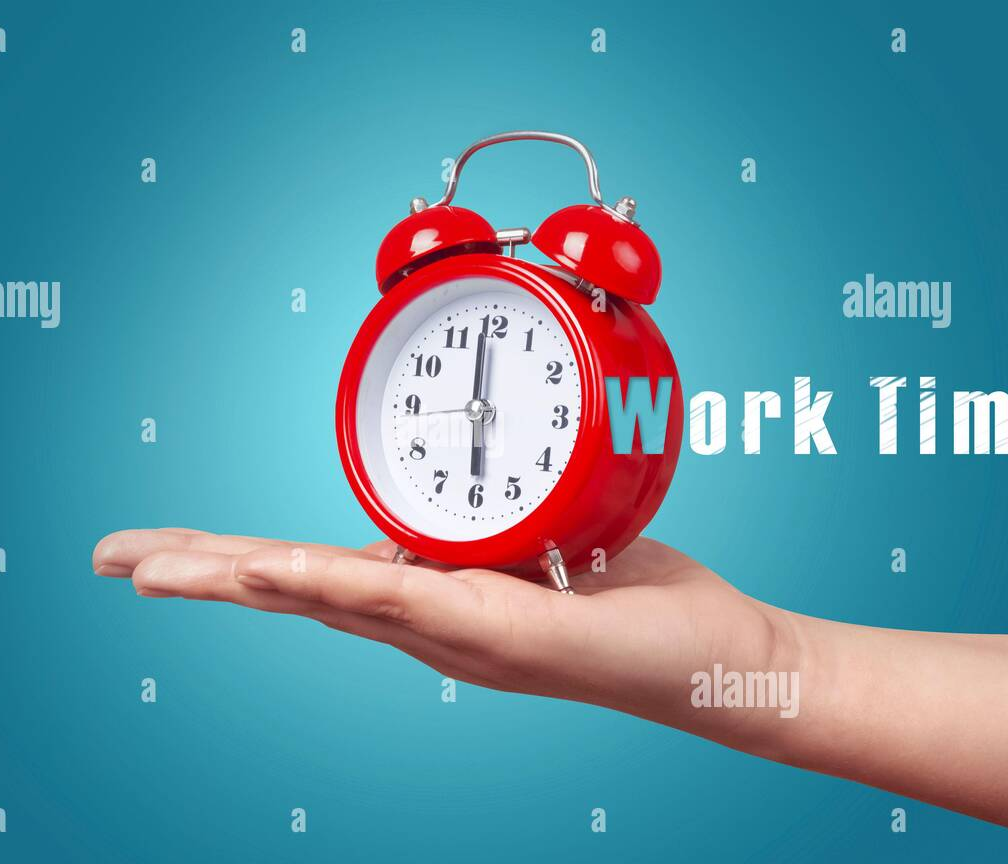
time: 5:59
